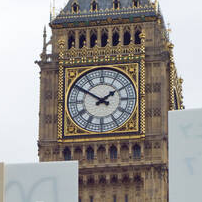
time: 1:50
